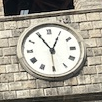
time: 12:55
